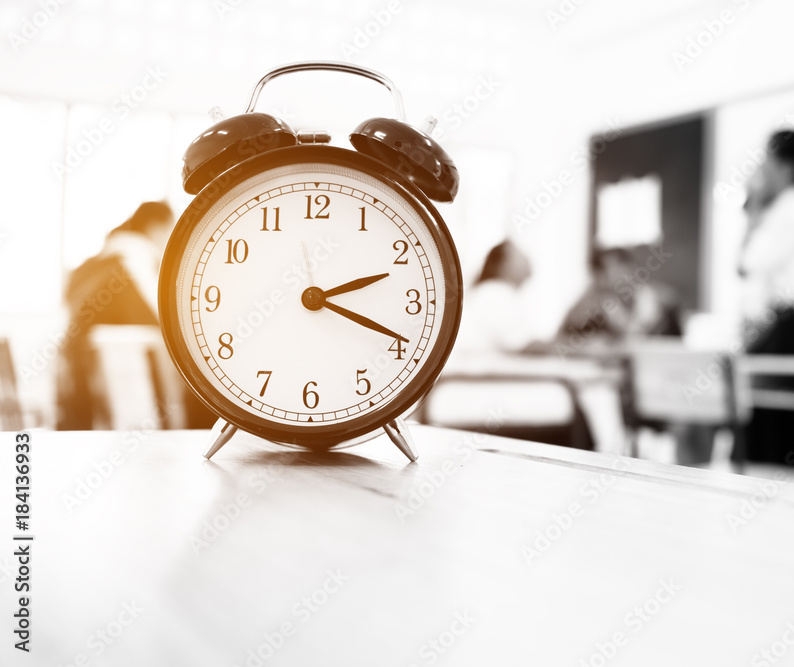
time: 2:18
